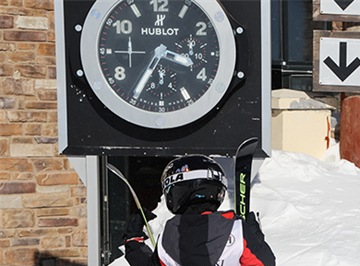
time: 3:34
